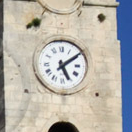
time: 5:09
